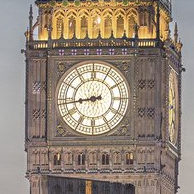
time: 8:43
